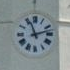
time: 11:12
